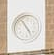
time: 4:54
